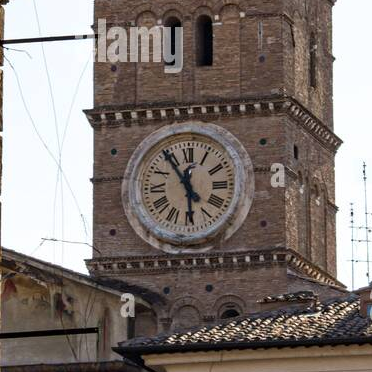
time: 5:54
